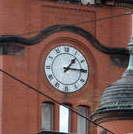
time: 1:14
